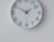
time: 1:50
